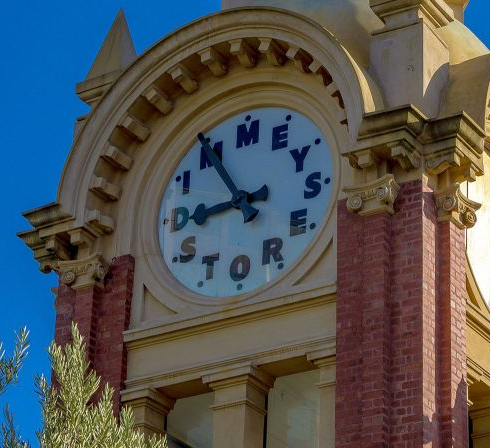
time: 8:54
